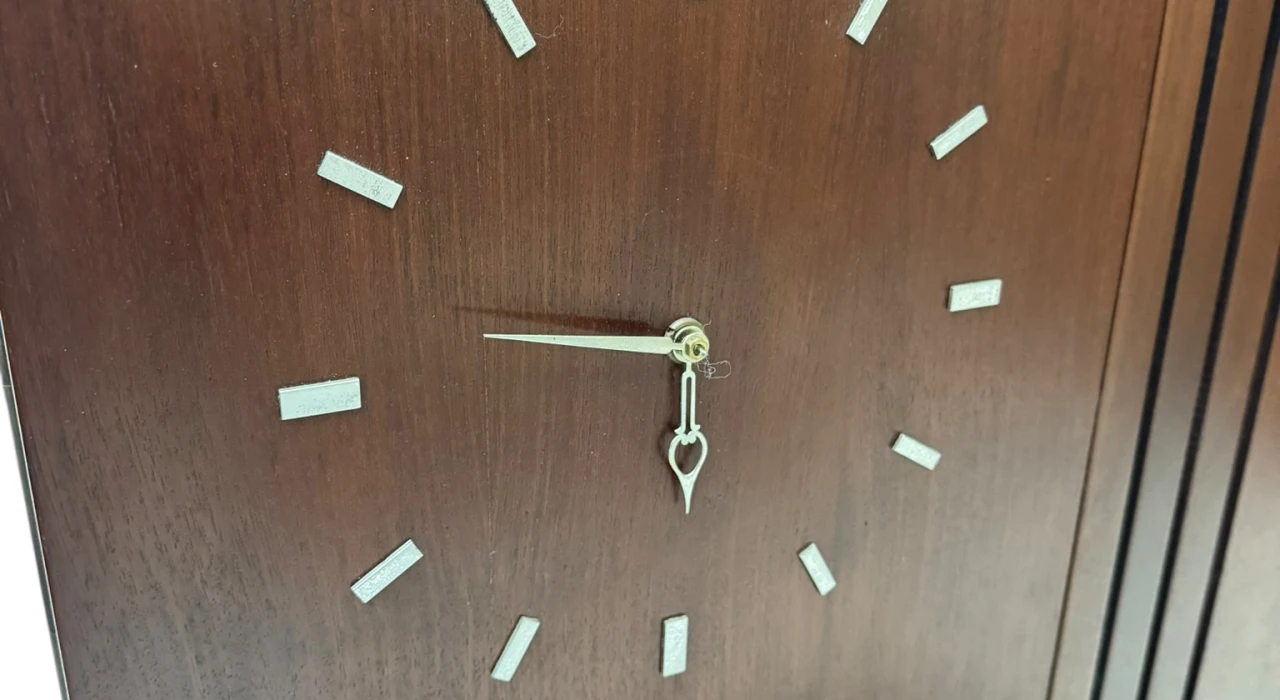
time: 5:46
